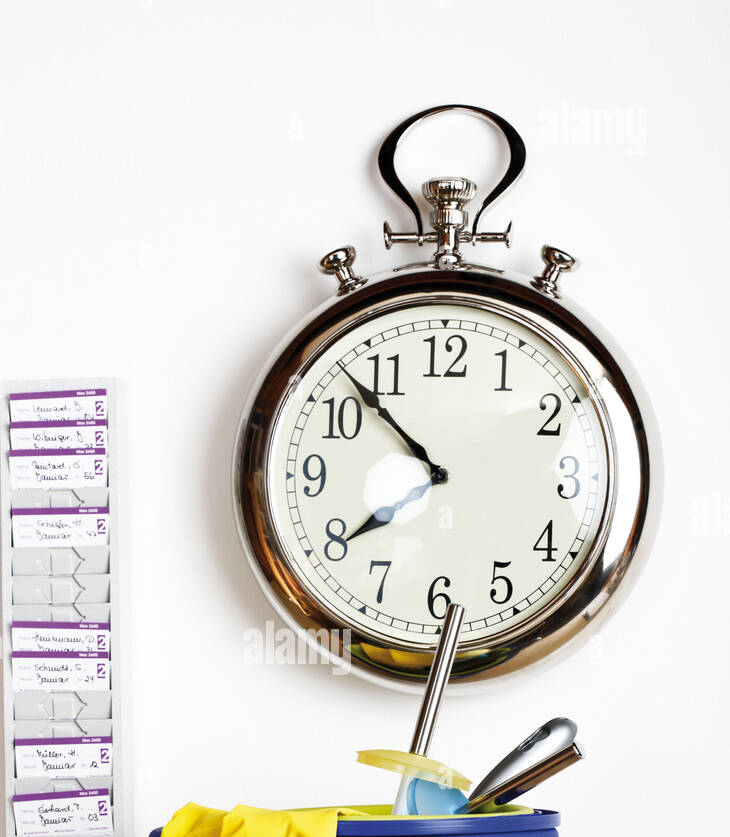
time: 7:52
